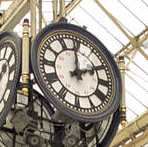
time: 1:59
